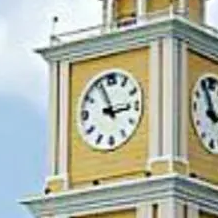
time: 2:56
